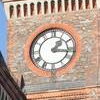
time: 1:16
